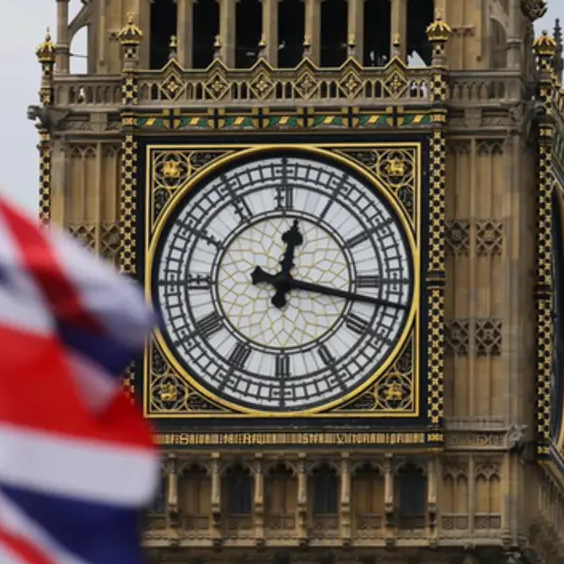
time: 12:17
